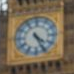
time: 4:25
